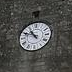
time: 10:48
